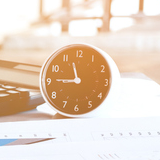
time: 8:57
